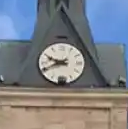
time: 9:41
